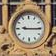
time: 9:15
